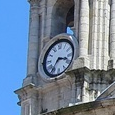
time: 3:36
